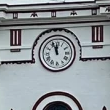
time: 11:56
